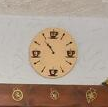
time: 10:53
